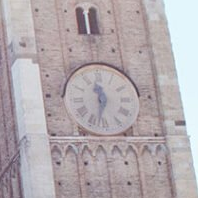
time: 11:32
